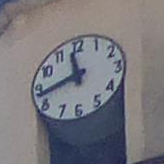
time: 11:42
